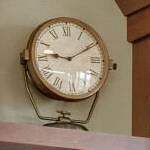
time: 9:10
